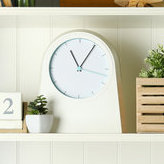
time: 11:05
